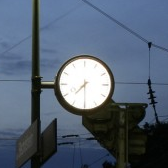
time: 7:29
